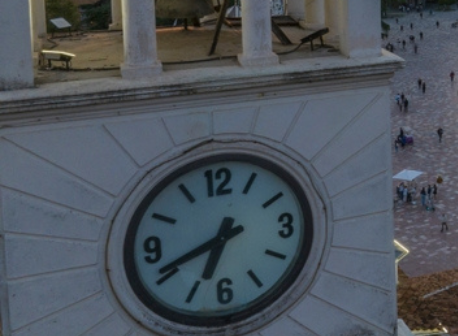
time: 6:41
